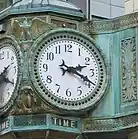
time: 2:19
